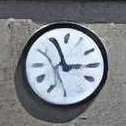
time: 2:56
